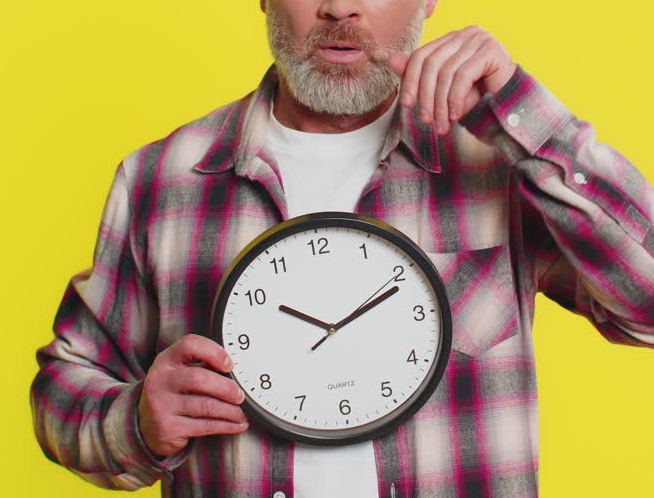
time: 10:11
